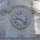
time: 9:22
